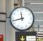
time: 11:42
